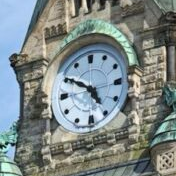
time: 4:50
